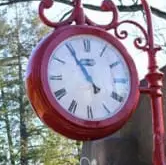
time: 4:54
